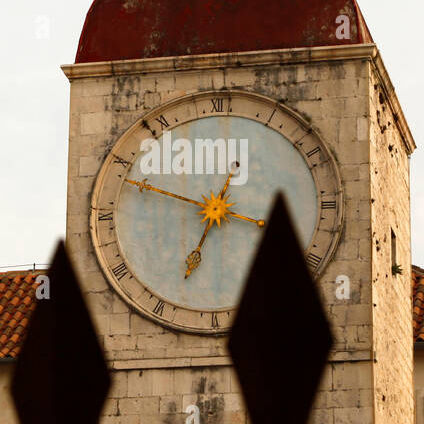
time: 6:48
